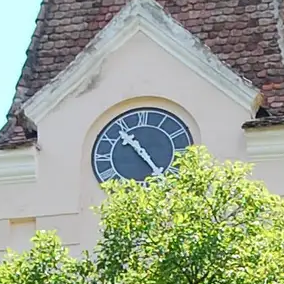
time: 10:53
